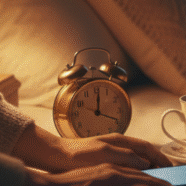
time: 12:19
